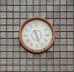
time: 5:26
